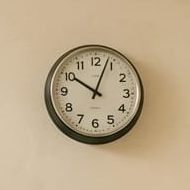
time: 10:03
